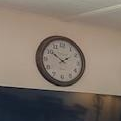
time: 1:50
